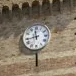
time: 11:43
